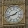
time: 1:42
